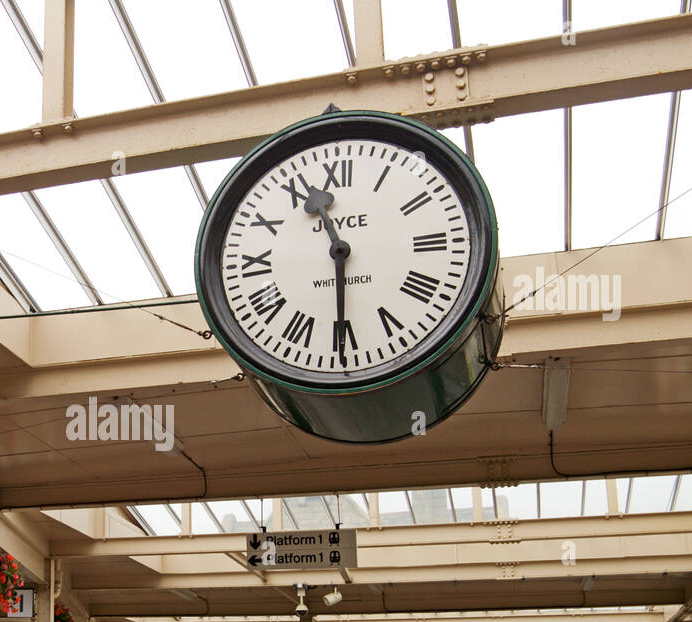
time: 11:30
